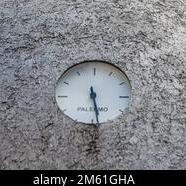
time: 5:28
